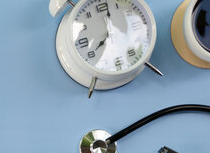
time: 8:02
